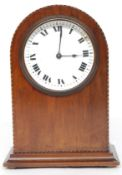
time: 3:01
